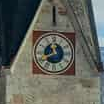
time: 11:40
